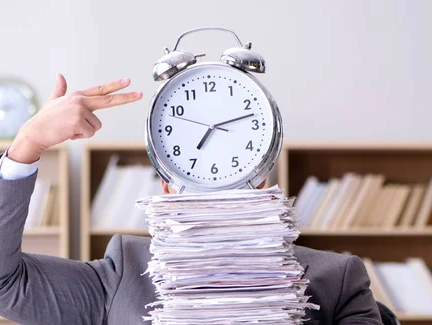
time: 7:12
